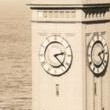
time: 2:22
